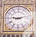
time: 9:12
